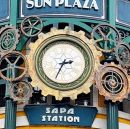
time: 2:34
